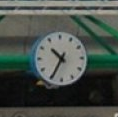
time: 10:34
